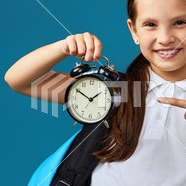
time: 1:50
